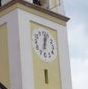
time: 12:02
